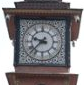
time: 9:37
